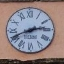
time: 2:41
